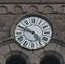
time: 4:48
